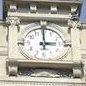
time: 2:59
